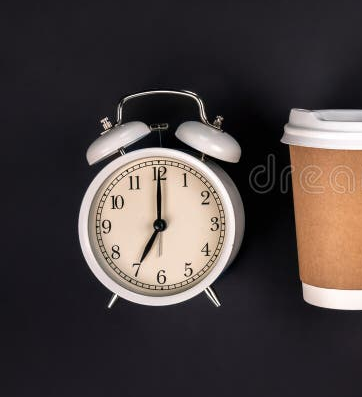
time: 7:00
